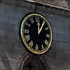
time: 12:05
